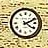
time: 4:10
